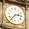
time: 2:36
